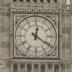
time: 12:20
